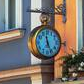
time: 4:59
